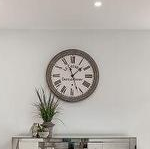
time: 1:26
